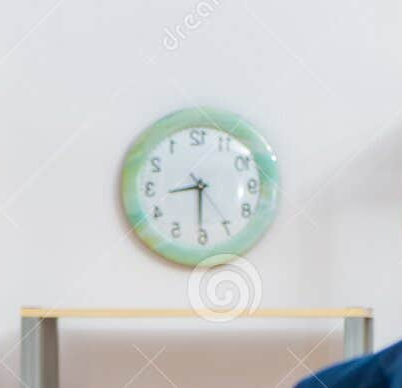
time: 8:30
